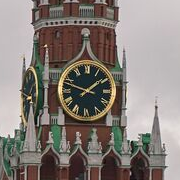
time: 1:48
